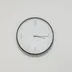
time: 3:14
